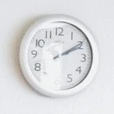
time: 2:09
